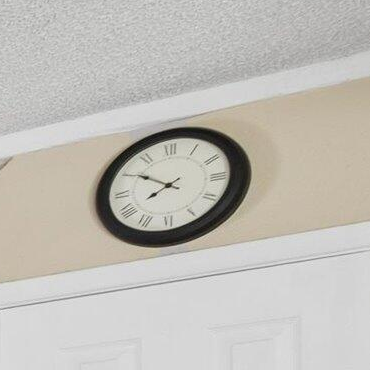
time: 7:50
